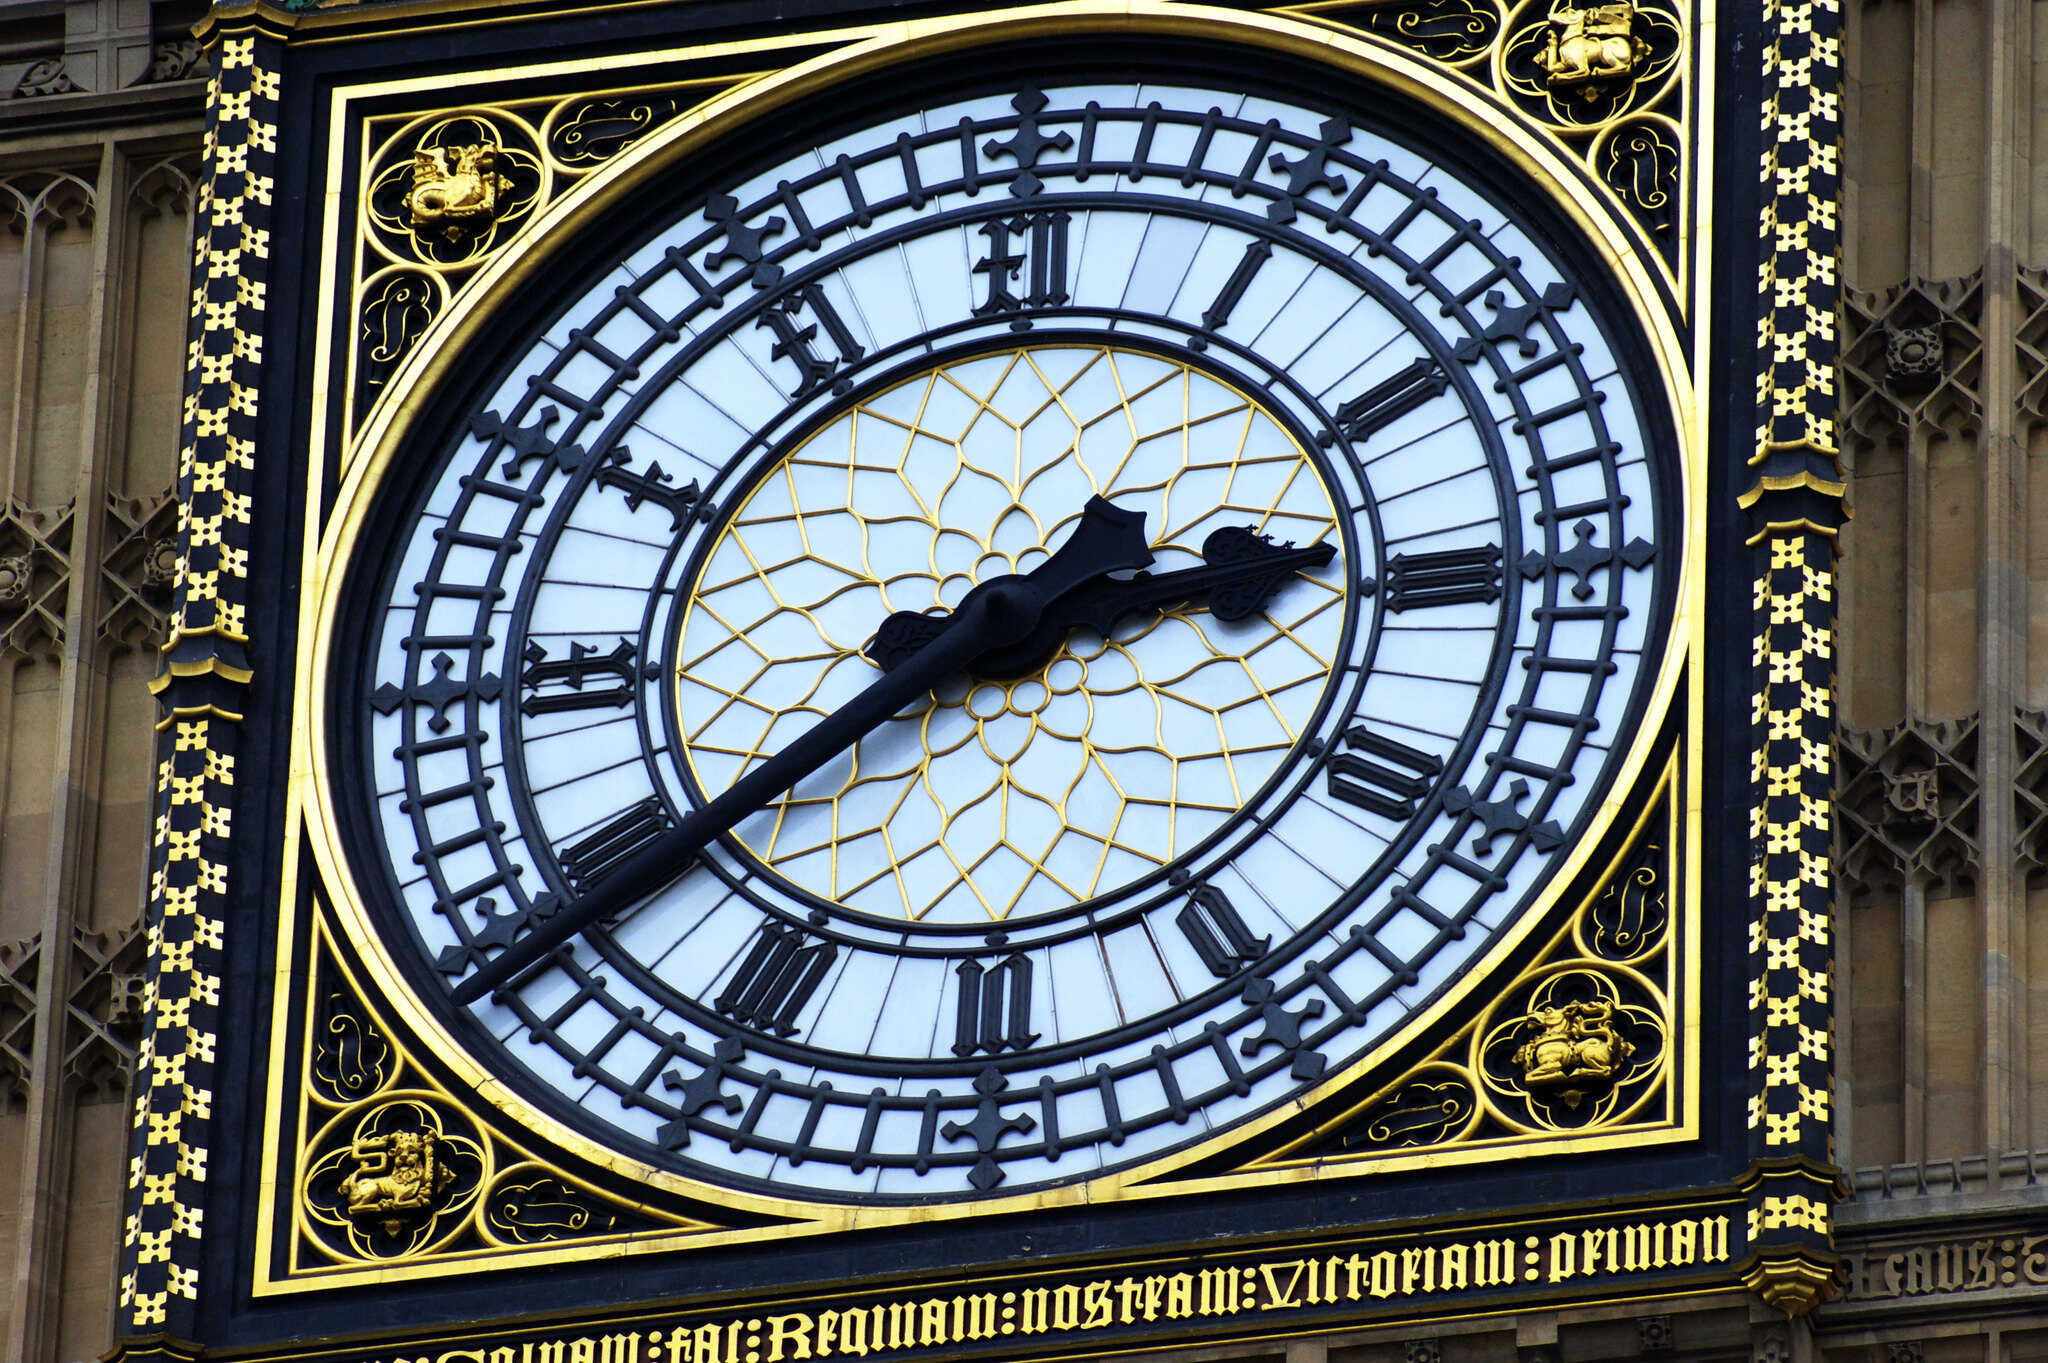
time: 2:39
